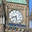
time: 8:27
